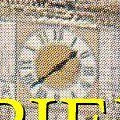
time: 1:38
